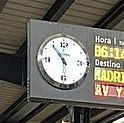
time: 5:53
